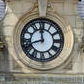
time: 11:42
